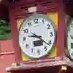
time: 9:21
